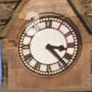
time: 3:23
